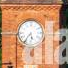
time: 5:35
